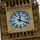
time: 12:19
